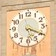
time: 5:19
